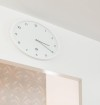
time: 3:20
